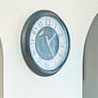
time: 1:24
